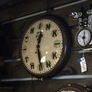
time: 12:28
